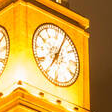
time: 7:04
